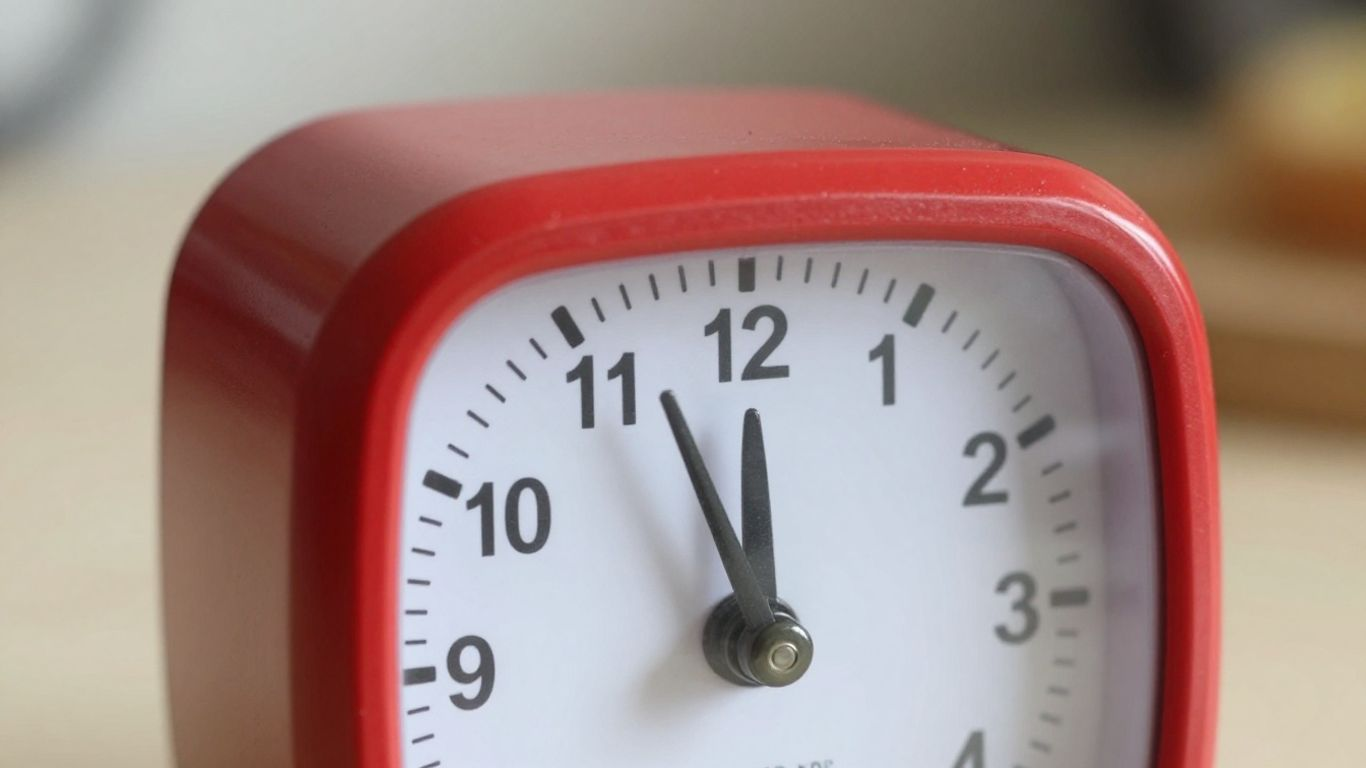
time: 11:56
